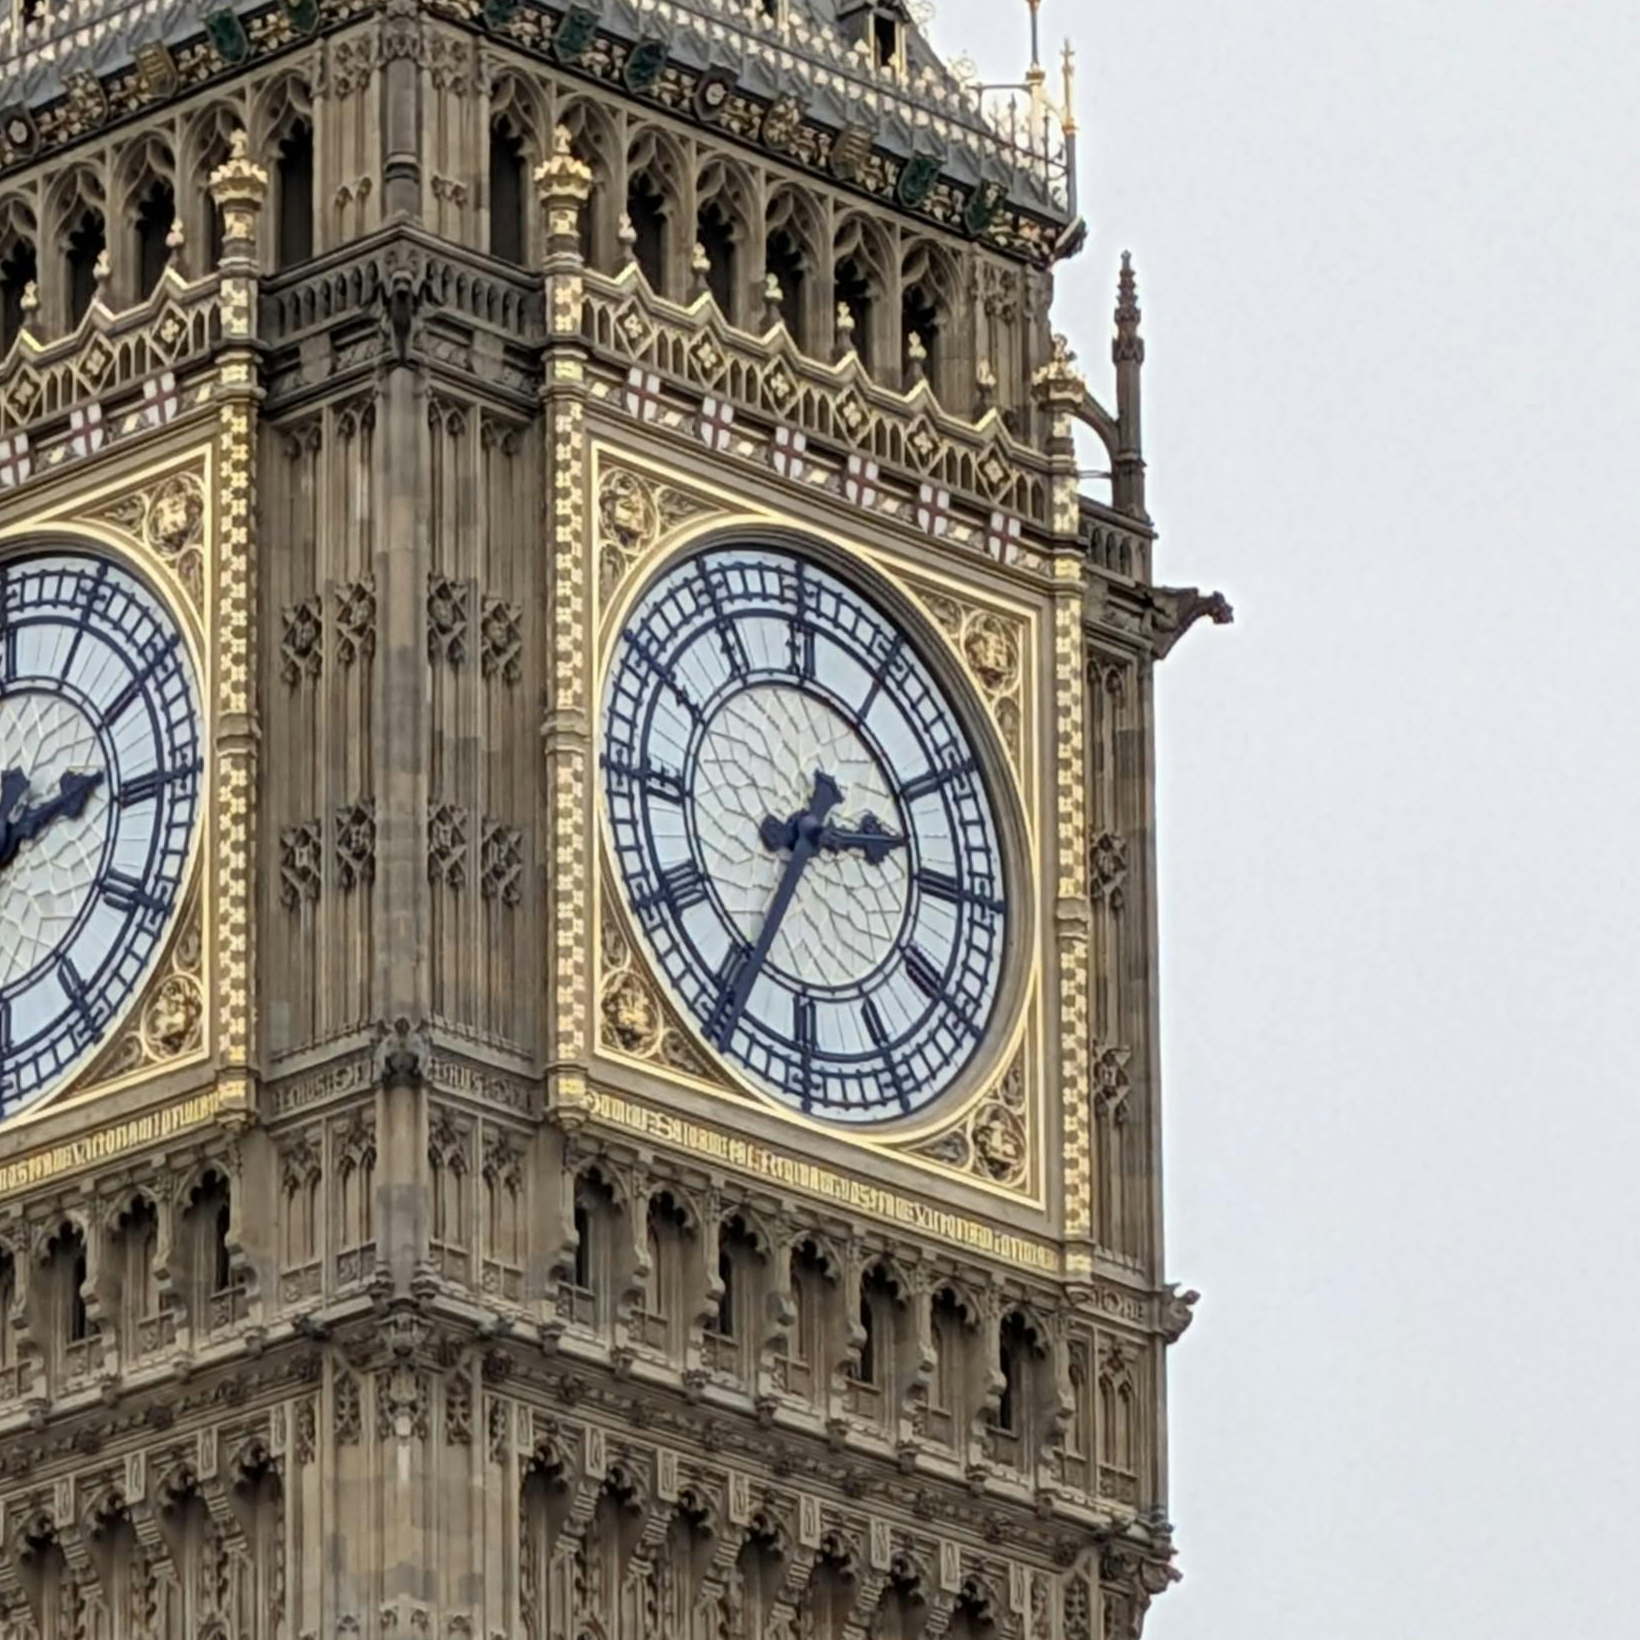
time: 2:34
